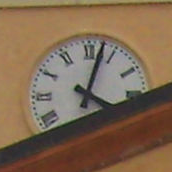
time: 4:02
